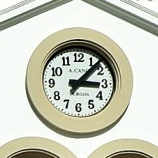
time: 3:07
